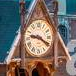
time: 9:20
